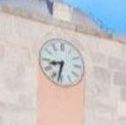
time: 8:32
